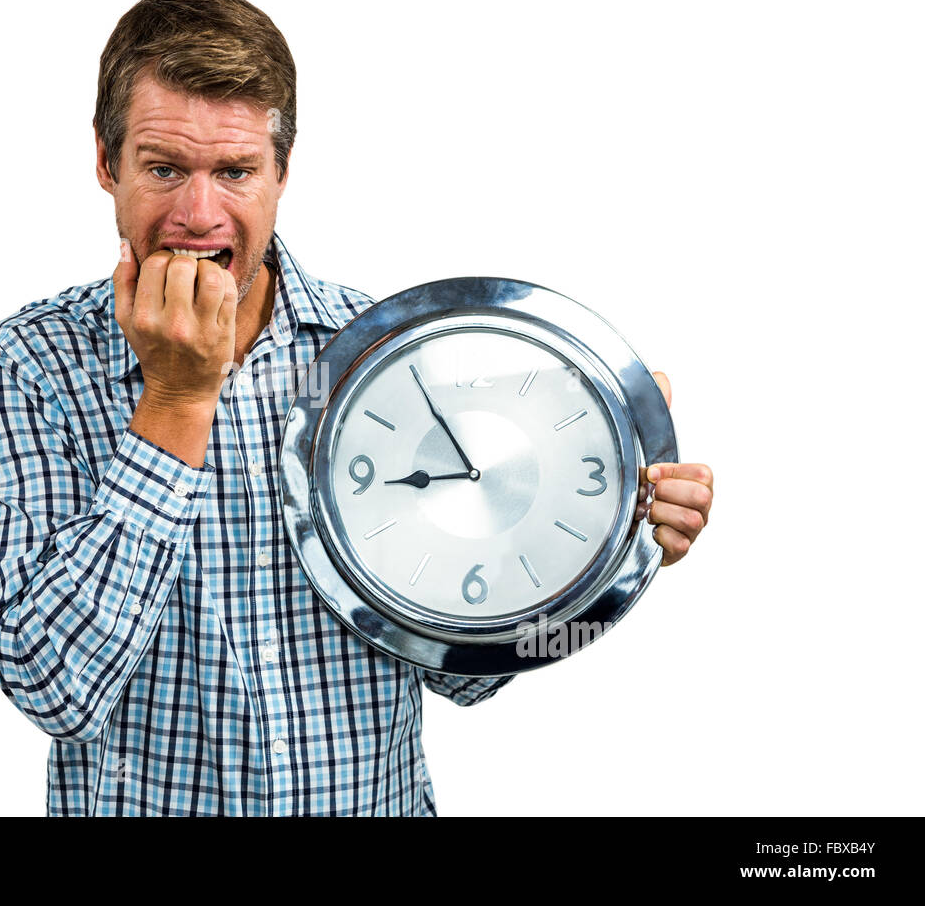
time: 8:54
